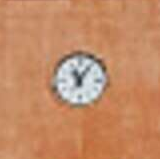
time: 11:05
